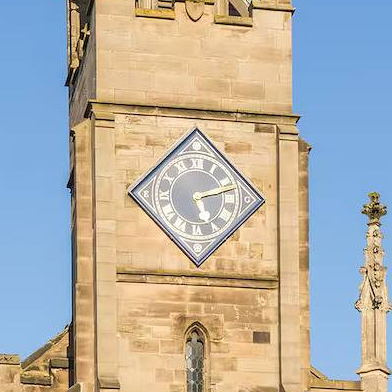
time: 5:12
